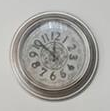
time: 11:51
